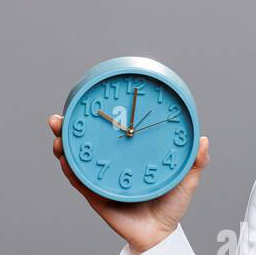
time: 10:00
